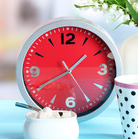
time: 1:40
